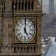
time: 5:00
